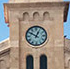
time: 12:50
